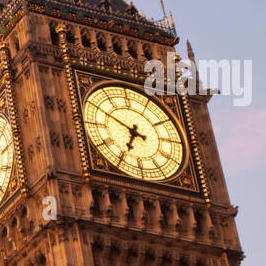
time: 6:49
